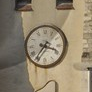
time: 3:36
